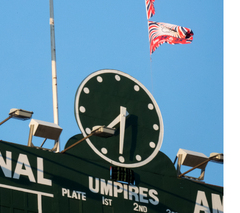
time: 7:30
